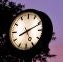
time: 8:11
